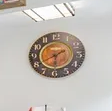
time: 5:40
